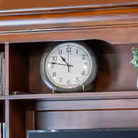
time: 10:47
